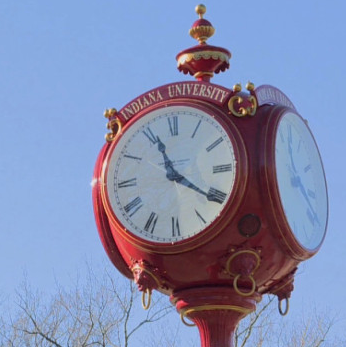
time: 11:20
